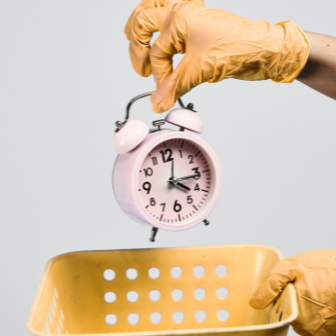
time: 4:15
